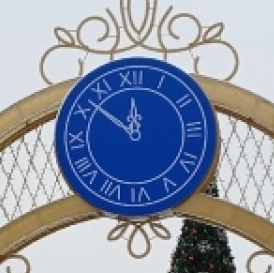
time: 11:51
